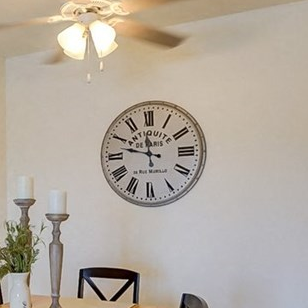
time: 11:47
